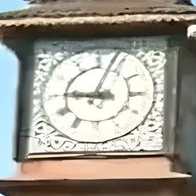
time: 9:03
